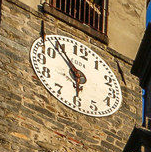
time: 5:54
